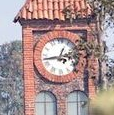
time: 12:43
